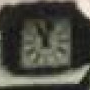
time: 11:02
